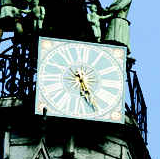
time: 5:26
